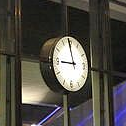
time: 8:58
